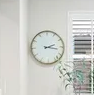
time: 2:16
